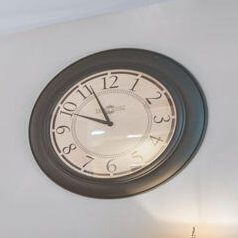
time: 9:56
